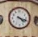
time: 4:18
